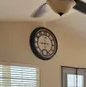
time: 9:01
